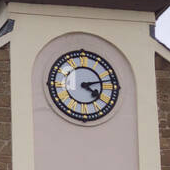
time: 4:12
